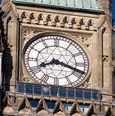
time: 8:18
